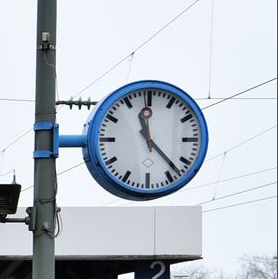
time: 11:22
